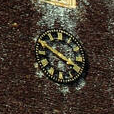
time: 3:50
